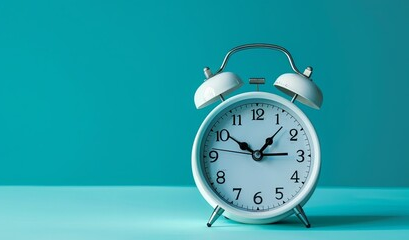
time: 10:14
